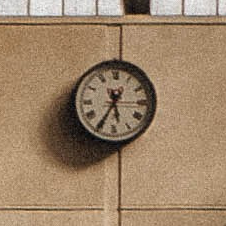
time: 5:35
